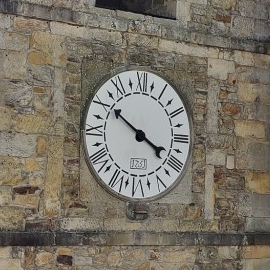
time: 3:50
